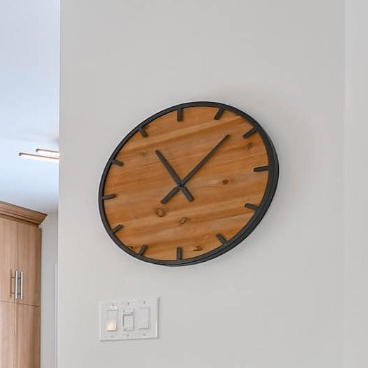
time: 11:07
